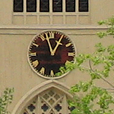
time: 12:57
